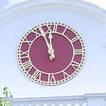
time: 11:56
